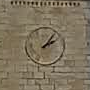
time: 2:06
